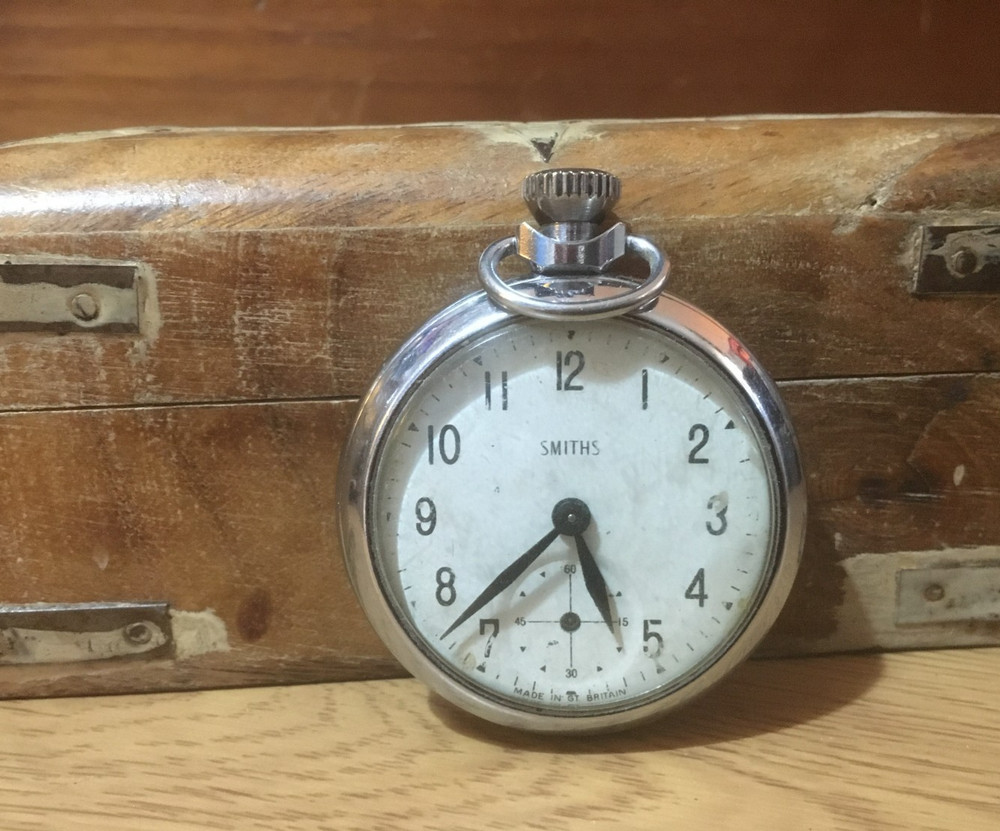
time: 5:37
